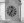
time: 7:02
